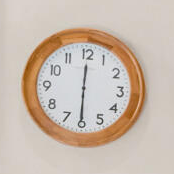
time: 6:00
